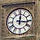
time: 12:16
